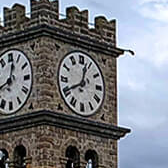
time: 12:40
